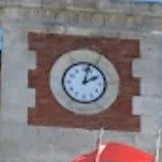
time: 2:02
